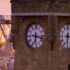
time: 6:17
